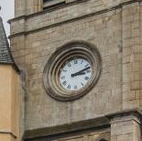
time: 3:12
